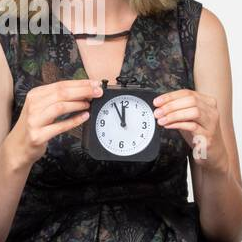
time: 11:55
